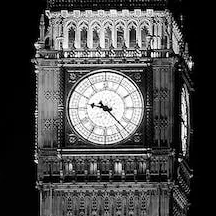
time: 9:22
